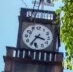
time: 3:35
